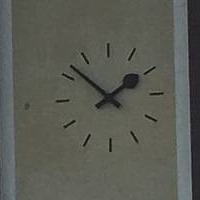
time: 1:51
